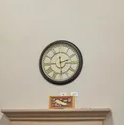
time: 2:29
